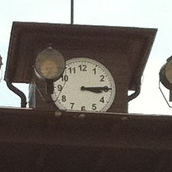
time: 3:14
